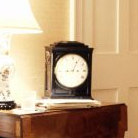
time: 3:04
